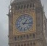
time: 1:16
